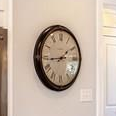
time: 1:43
